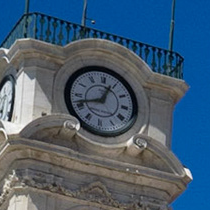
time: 12:42
